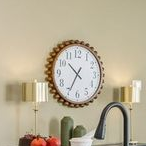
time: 10:34
